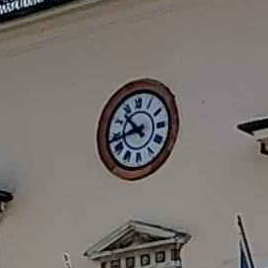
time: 10:43
